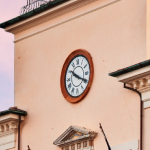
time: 10:19
